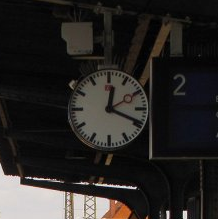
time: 12:19
